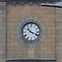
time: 10:18
